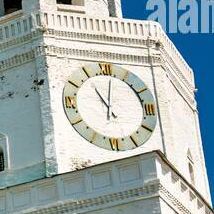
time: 11:01
